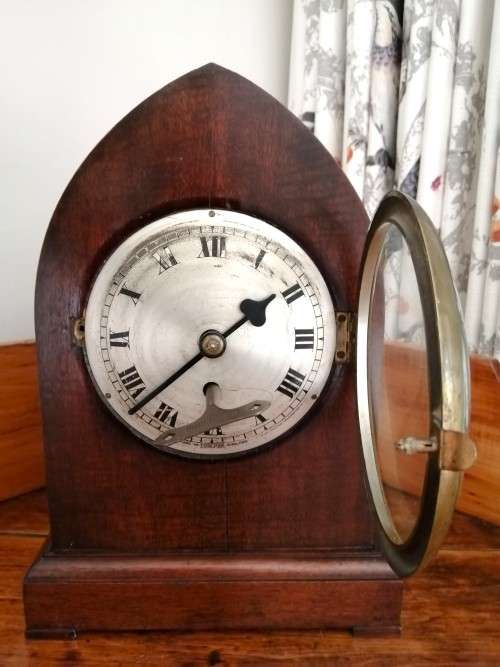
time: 1:37
